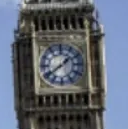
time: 1:39
